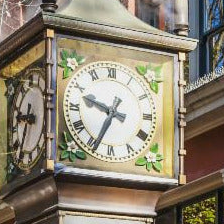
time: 9:34
